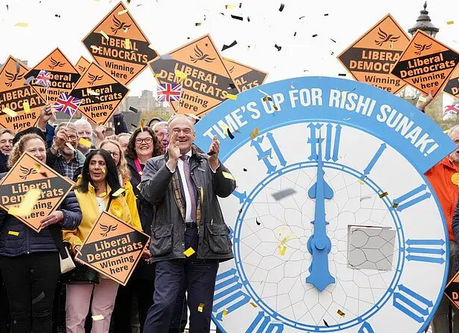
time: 5:59
